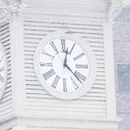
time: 12:22
